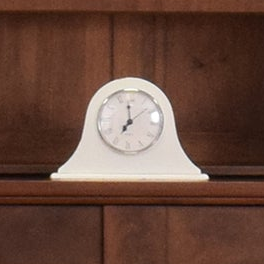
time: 7:00
